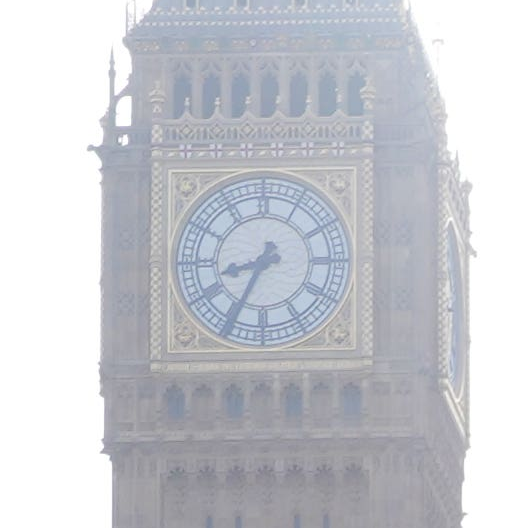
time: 8:34
